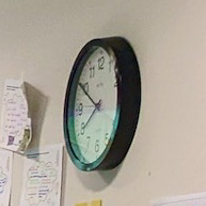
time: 7:49
